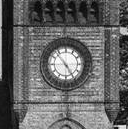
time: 4:53
